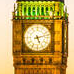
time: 5:12
